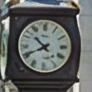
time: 10:40
